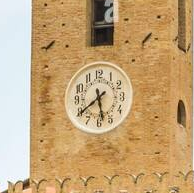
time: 5:39
